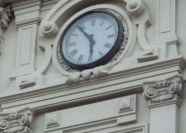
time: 5:53
